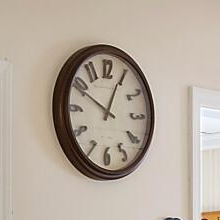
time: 12:49
